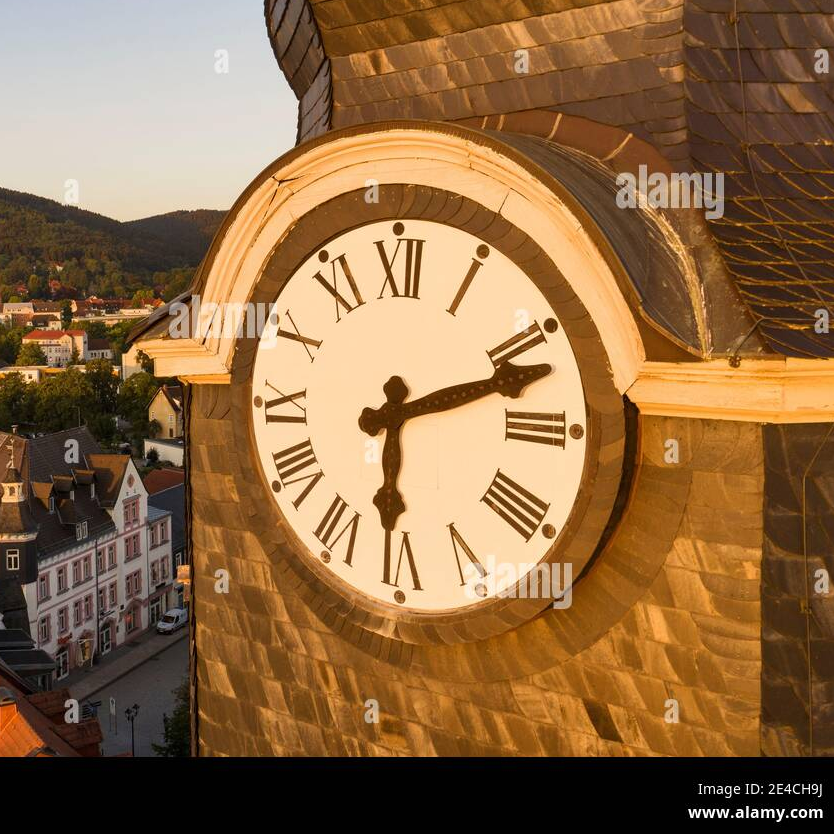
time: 6:11
